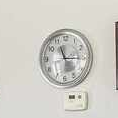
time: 11:15
